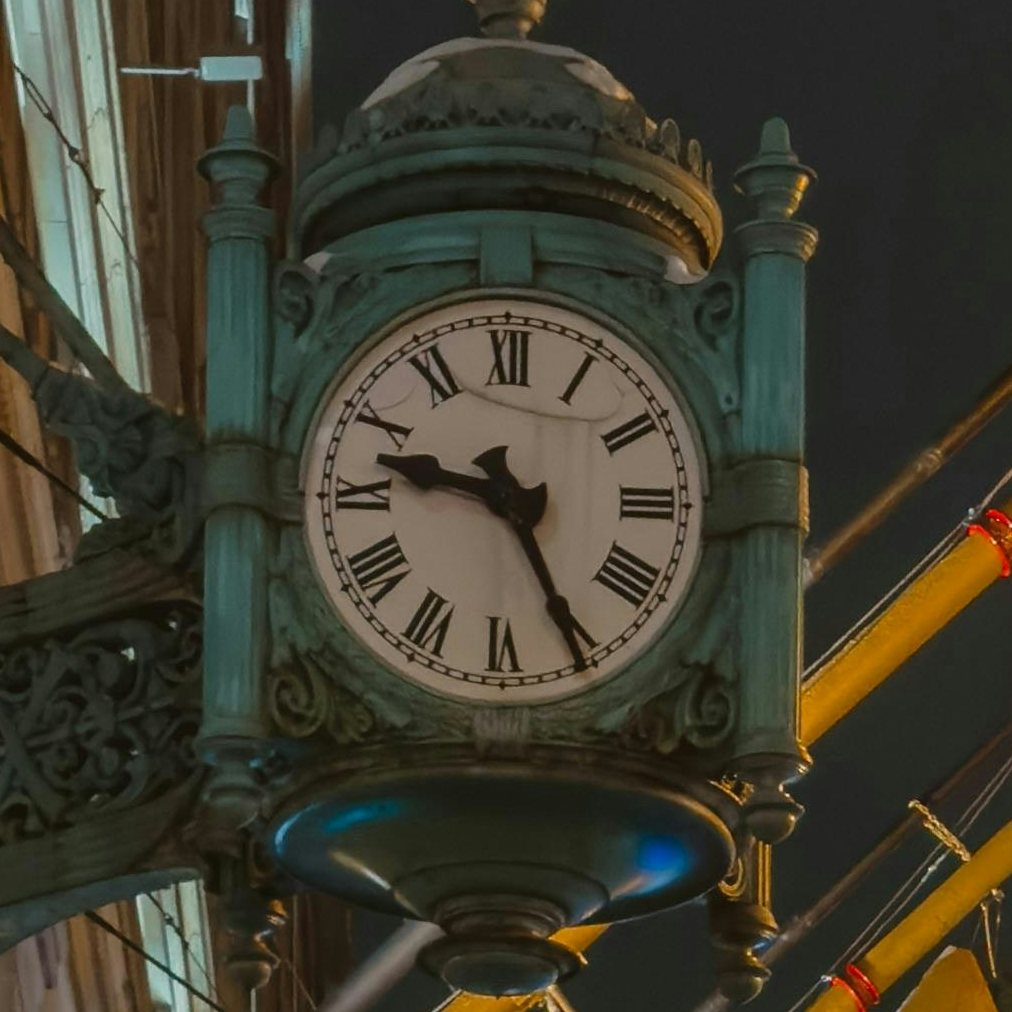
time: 9:25
